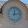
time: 12:12
